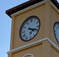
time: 4:18
